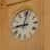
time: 9:01
